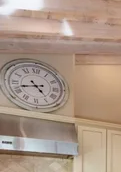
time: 4:42
